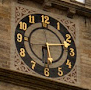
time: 6:13
